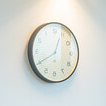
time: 12:40
